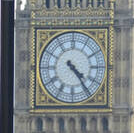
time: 4:23
